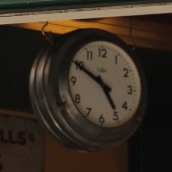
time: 4:50
